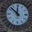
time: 11:52
